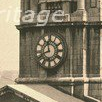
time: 11:41
